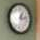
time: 1:13
